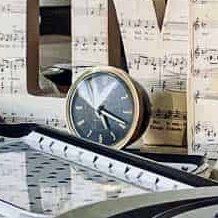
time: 5:18
